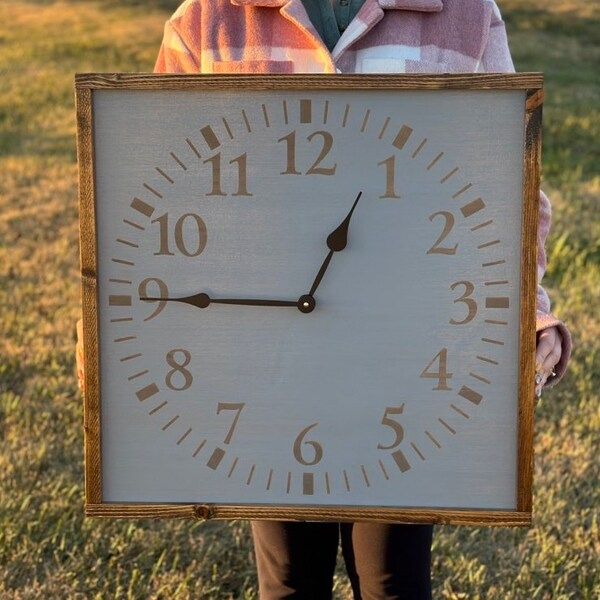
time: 12:45
